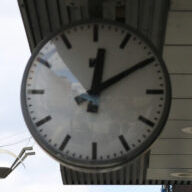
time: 12:09
